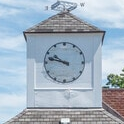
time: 9:47
